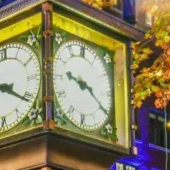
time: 9:20
